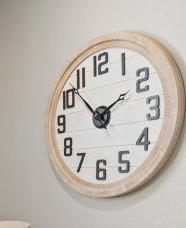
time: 1:52
